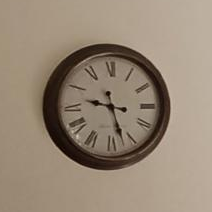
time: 9:27
